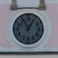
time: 12:55
